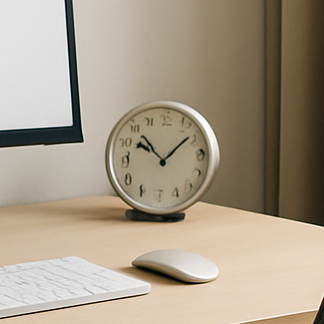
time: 10:08
